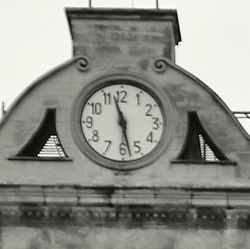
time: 11:28
